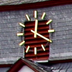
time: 12:20
